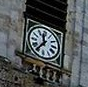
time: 11:36
